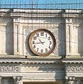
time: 10:43
